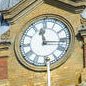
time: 11:16
